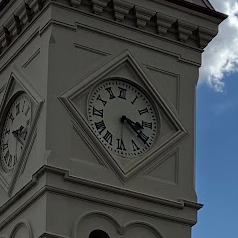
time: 3:21
